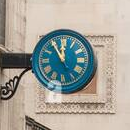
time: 11:54
